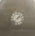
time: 1:37
